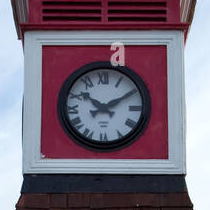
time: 10:10
